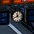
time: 11:41
